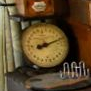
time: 8:11
